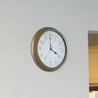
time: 3:58
